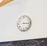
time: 3:16
